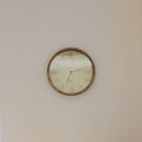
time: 2:33
